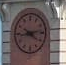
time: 4:13
